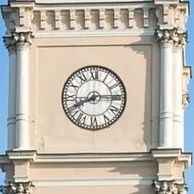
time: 8:14
